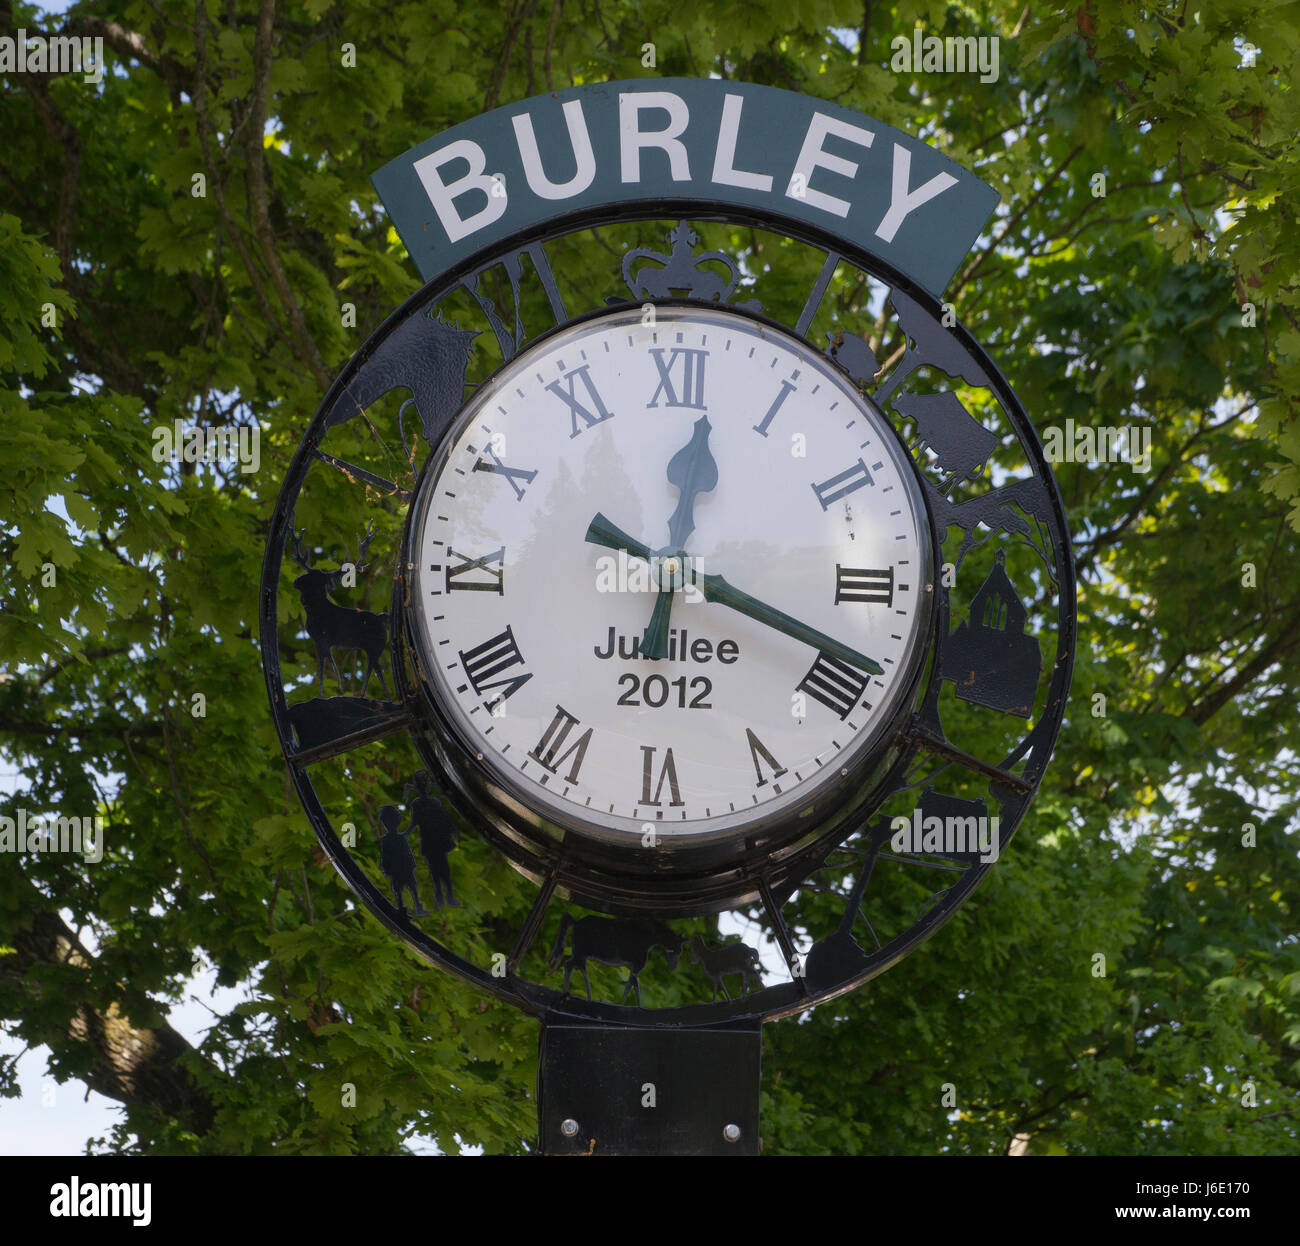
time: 12:18
